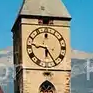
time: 9:25
